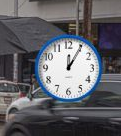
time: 12:05
